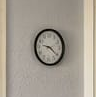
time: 9:21
